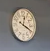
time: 12:19
